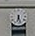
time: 6:27
